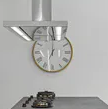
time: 7:00
